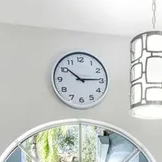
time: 10:14
